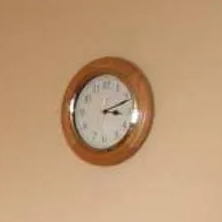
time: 3:11
